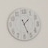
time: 1:26
